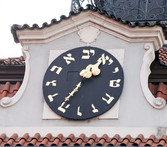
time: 1:36
